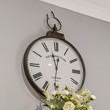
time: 11:31
